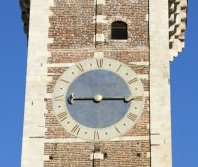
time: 9:15
